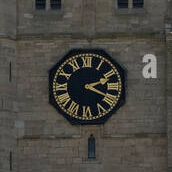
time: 2:18
